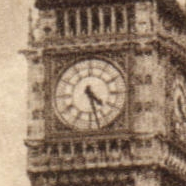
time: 4:27
